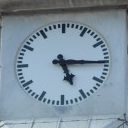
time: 5:15
